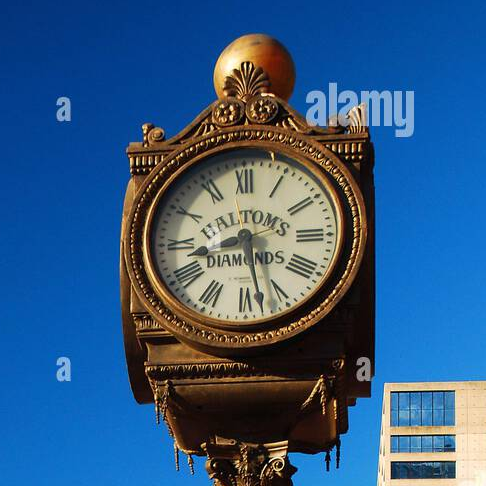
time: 8:27
